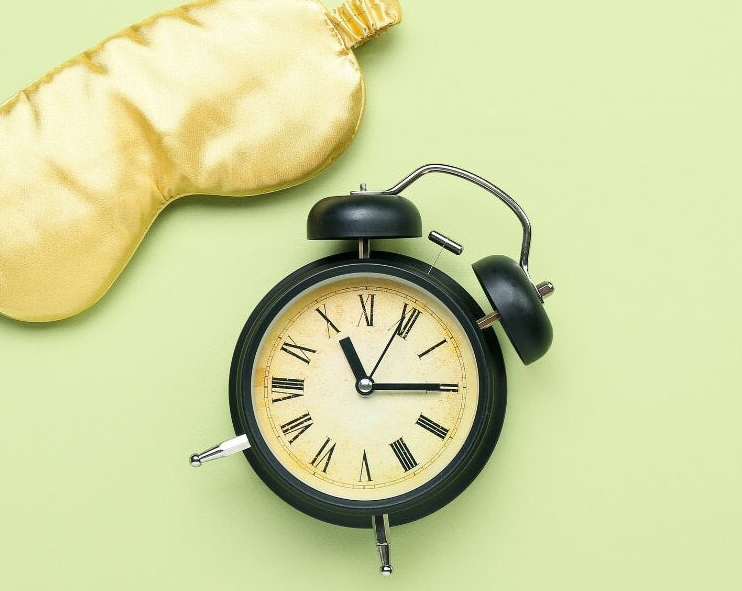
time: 11:14
